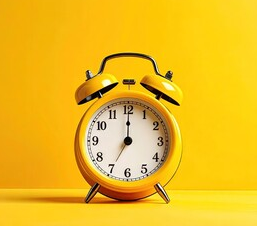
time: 7:00
